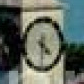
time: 4:29
